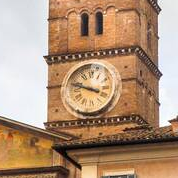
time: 3:48
